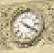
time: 4:19
